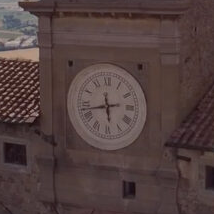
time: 5:42
